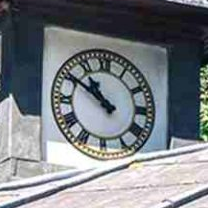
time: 10:50
